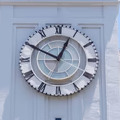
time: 12:49
